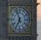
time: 6:56
